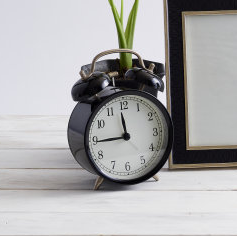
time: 11:44
